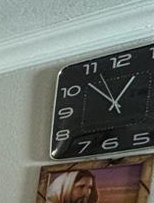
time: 12:52
